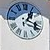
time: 1:18
